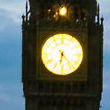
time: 6:23
